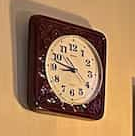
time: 8:47
